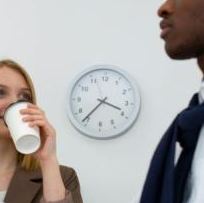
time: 3:36
